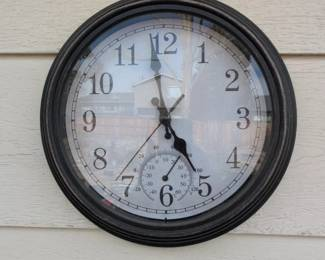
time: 4:58
